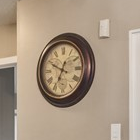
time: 6:49
